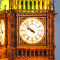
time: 9:52
